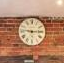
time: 2:46
